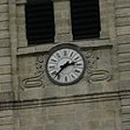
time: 2:37
